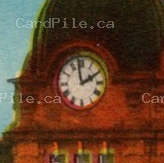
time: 1:58
